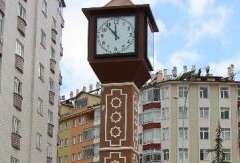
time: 11:53
